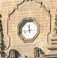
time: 11:42
